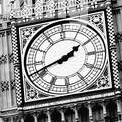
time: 1:41
